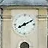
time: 8:11
